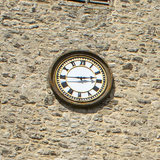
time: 2:44
